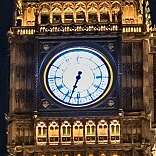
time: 6:32
